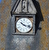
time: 10:17
